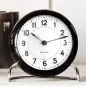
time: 10:12
